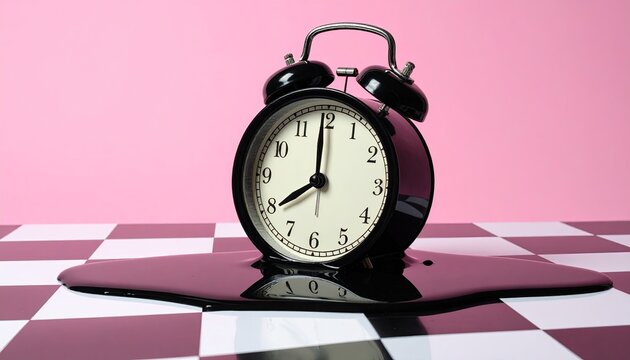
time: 7:59
